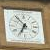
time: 6:53
